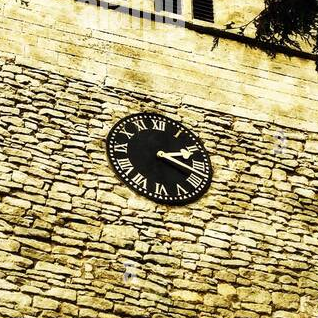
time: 2:18
